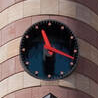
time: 11:18
